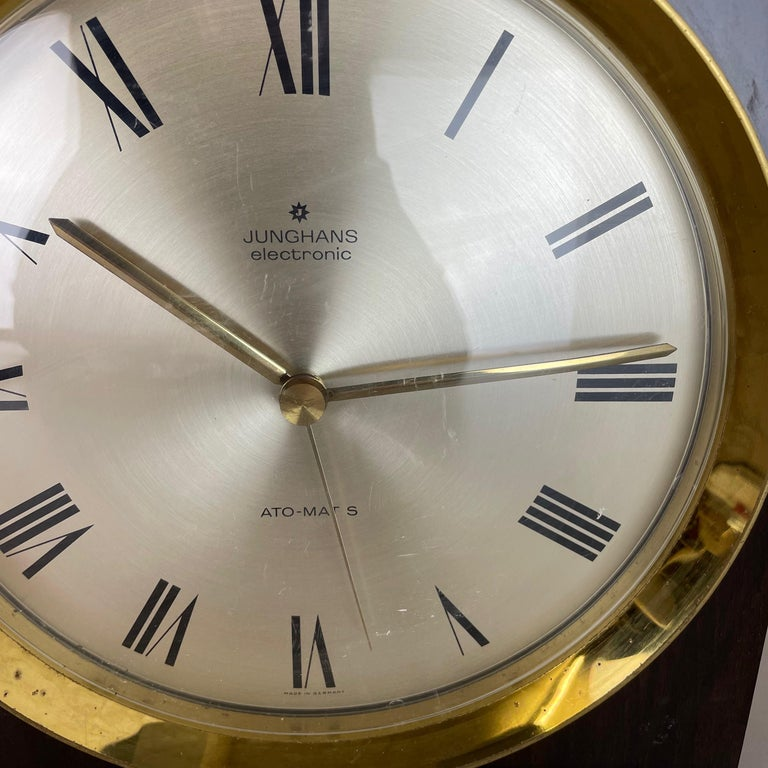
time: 2:50
